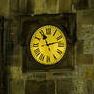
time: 11:12
